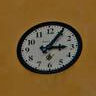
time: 3:05
